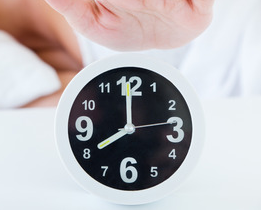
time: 7:59
